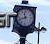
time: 11:41
